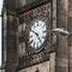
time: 4:50
